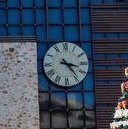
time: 3:23
